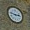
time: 2:46
